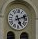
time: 5:11
